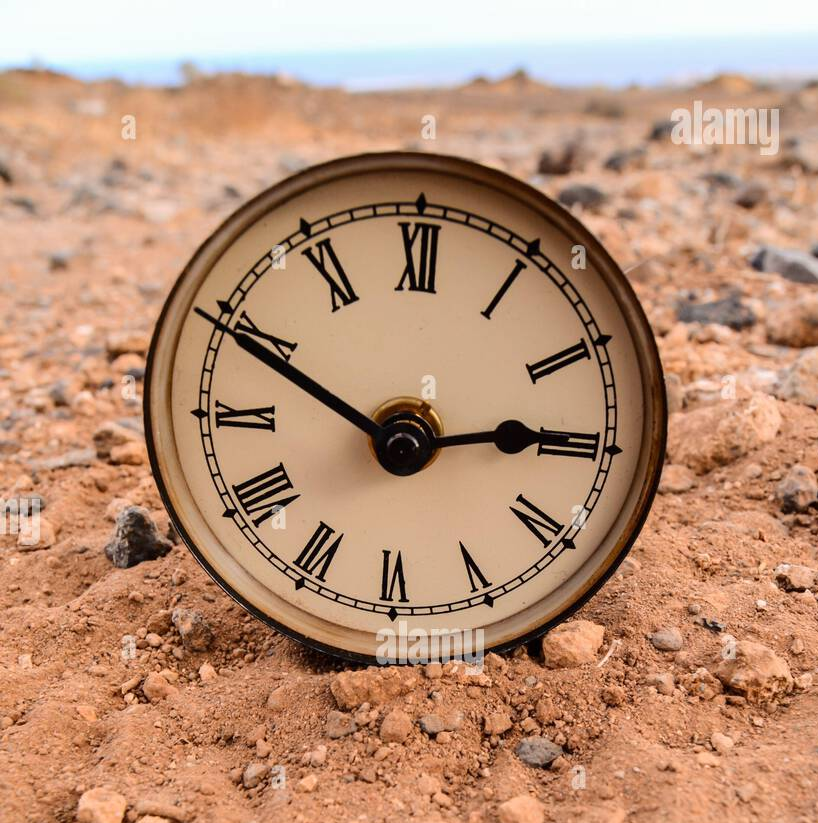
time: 2:49
